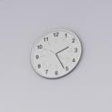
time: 2:26
